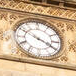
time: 3:50
